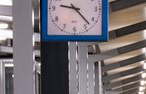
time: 9:22
